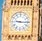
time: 9:15
